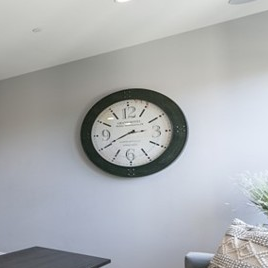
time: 2:40
